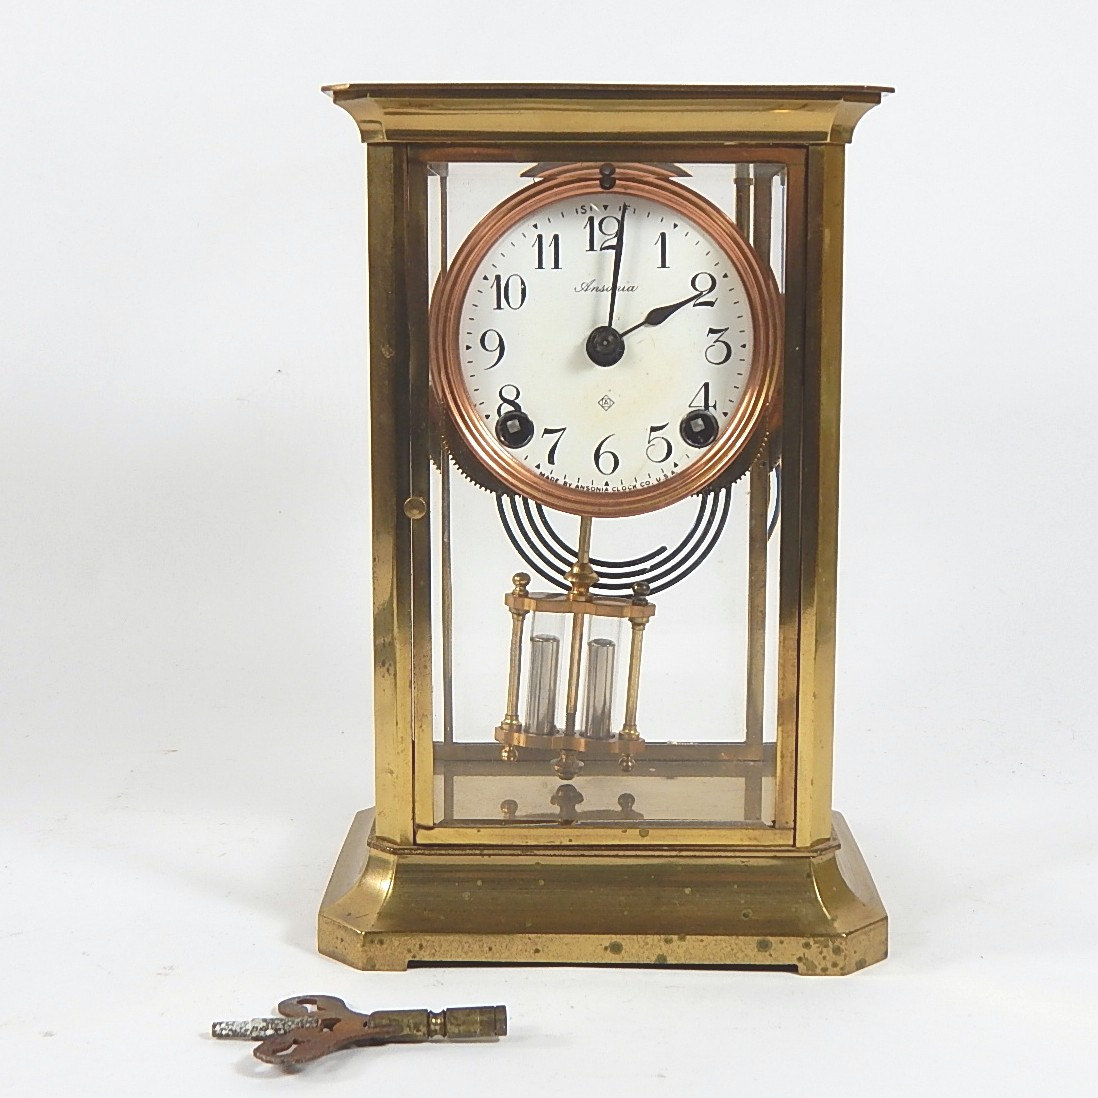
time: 2:01
